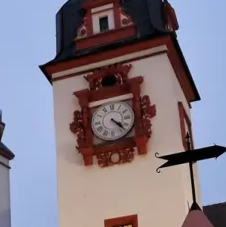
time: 4:22
